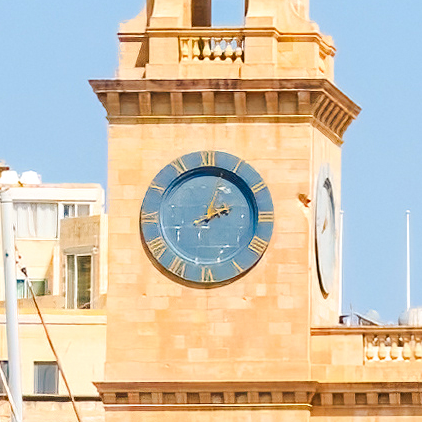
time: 2:03
